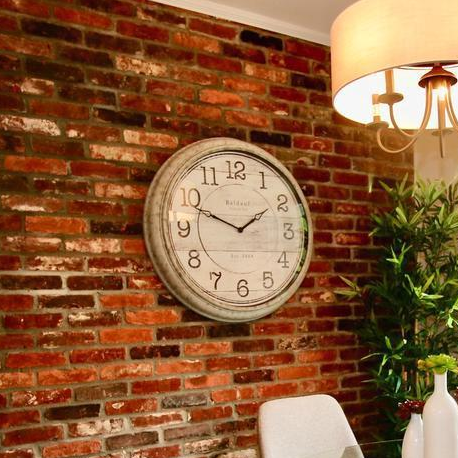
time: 1:48
